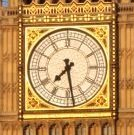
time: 7:28
